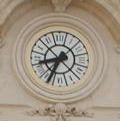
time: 8:34
